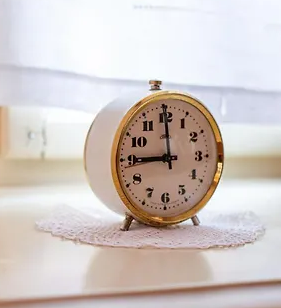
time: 8:59
